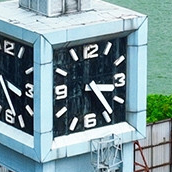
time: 3:23
